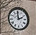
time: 1:59
